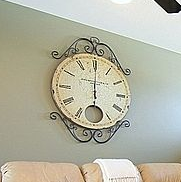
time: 6:00
